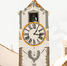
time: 1:16
